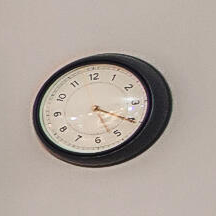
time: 5:20
